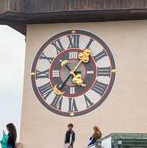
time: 4:36
